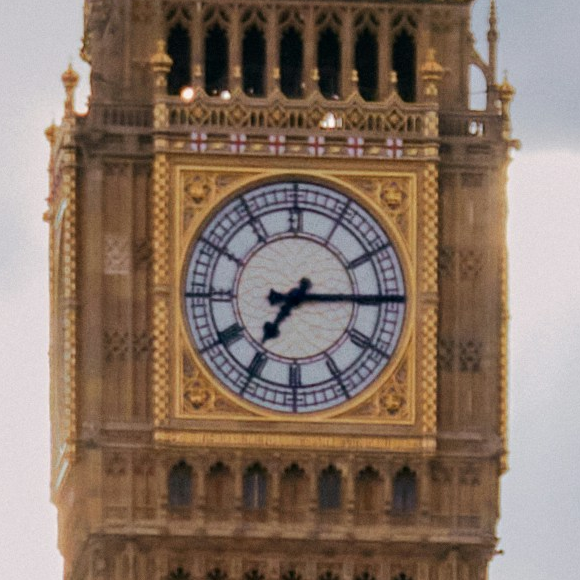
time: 7:14
